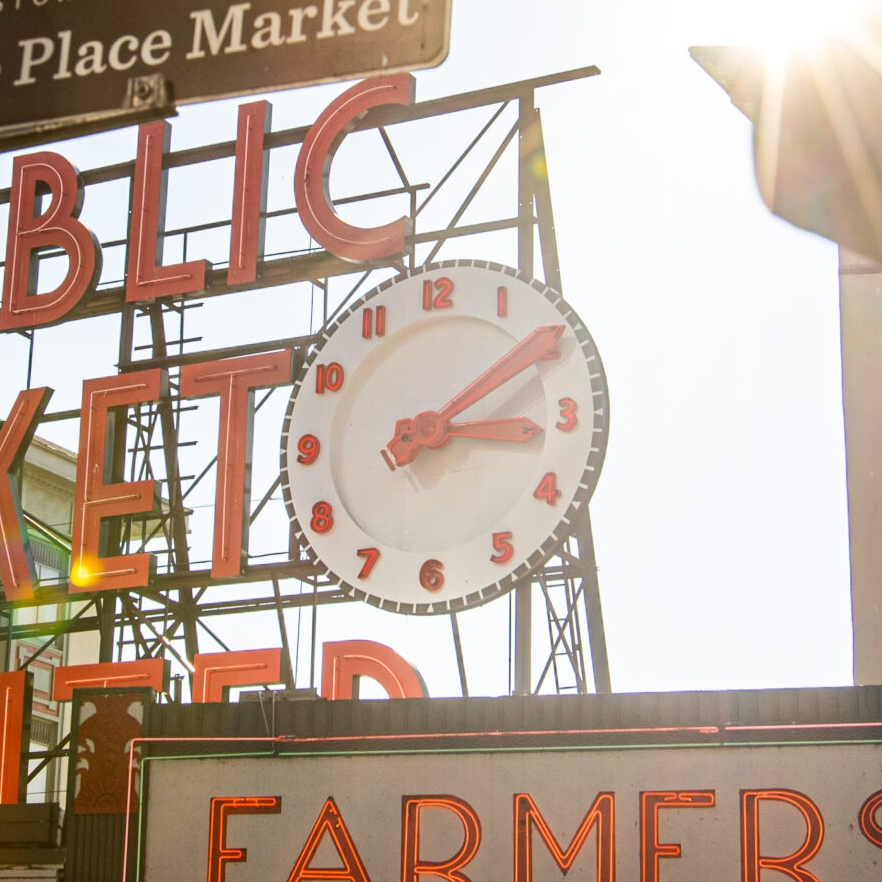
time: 3:09
